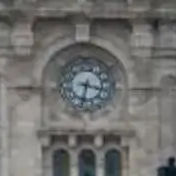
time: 3:32
